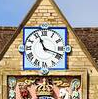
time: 11:18
